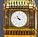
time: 10:47
